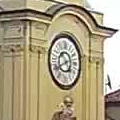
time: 10:41
